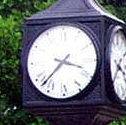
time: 3:37
